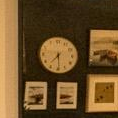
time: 7:29
